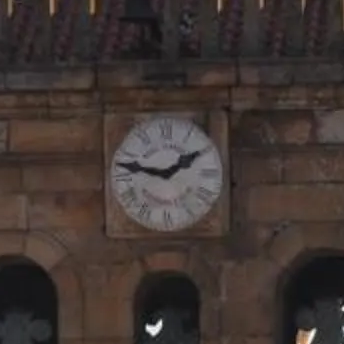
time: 1:47
